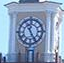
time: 11:25
